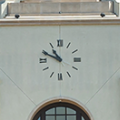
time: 10:49
